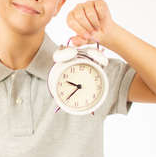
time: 9:35
